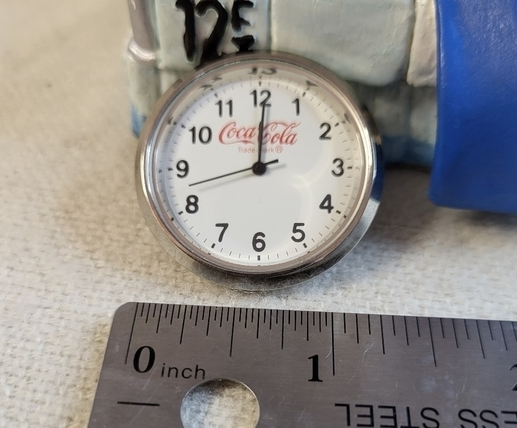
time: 12:00
